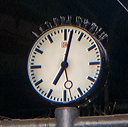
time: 7:02
